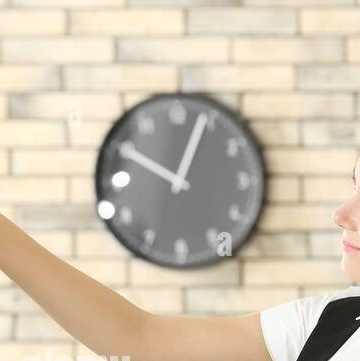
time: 12:49
